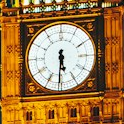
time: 5:30
